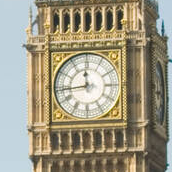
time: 11:43
